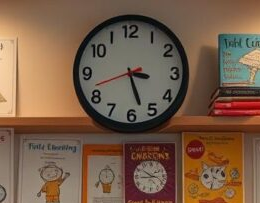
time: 3:27
